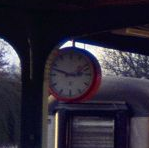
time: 2:48
